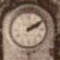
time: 2:09
